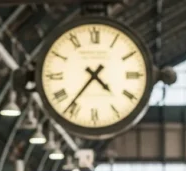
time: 4:36
